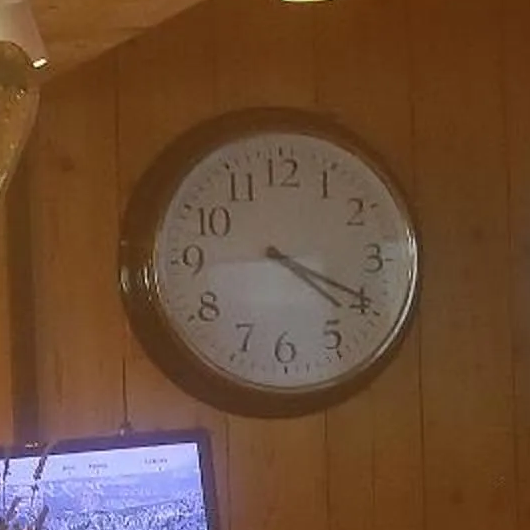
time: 4:19
